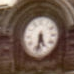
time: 5:32
